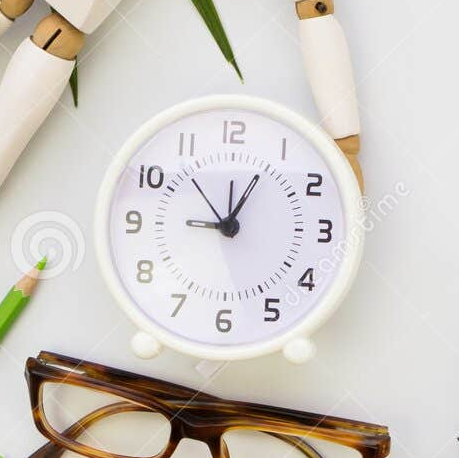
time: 9:04
